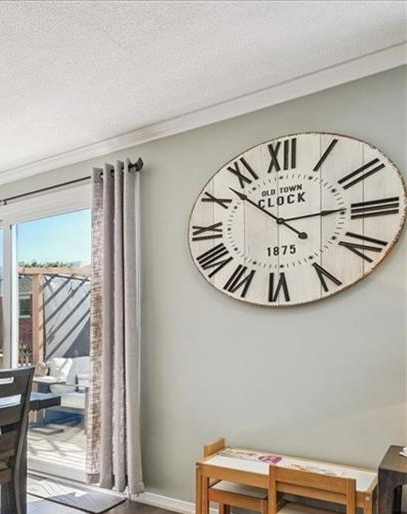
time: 2:52
